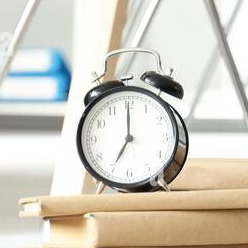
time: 7:00
